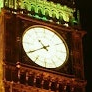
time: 10:39
